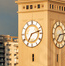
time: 7:12
